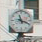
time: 11:18
